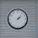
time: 2:06
